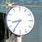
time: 8:36
